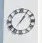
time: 1:05
